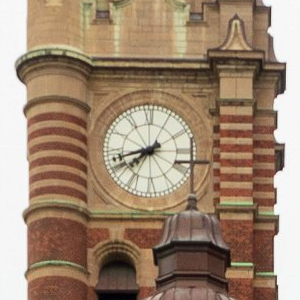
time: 7:42
